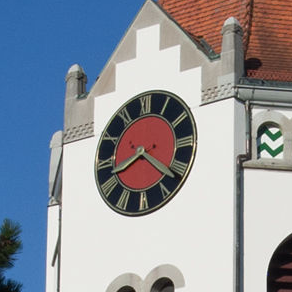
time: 8:21
